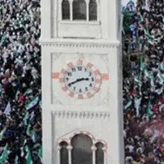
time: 2:40
